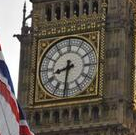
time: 8:31
